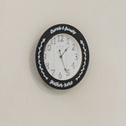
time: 1:26
